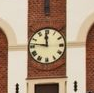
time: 11:46
